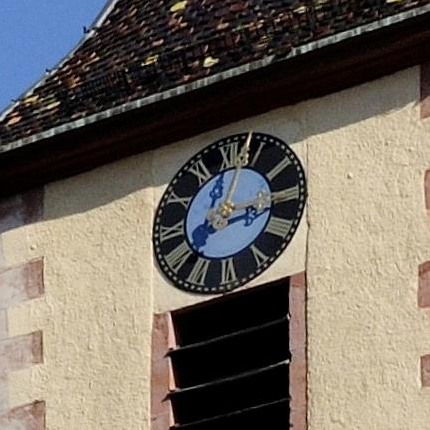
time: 3:02
